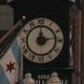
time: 12:13
